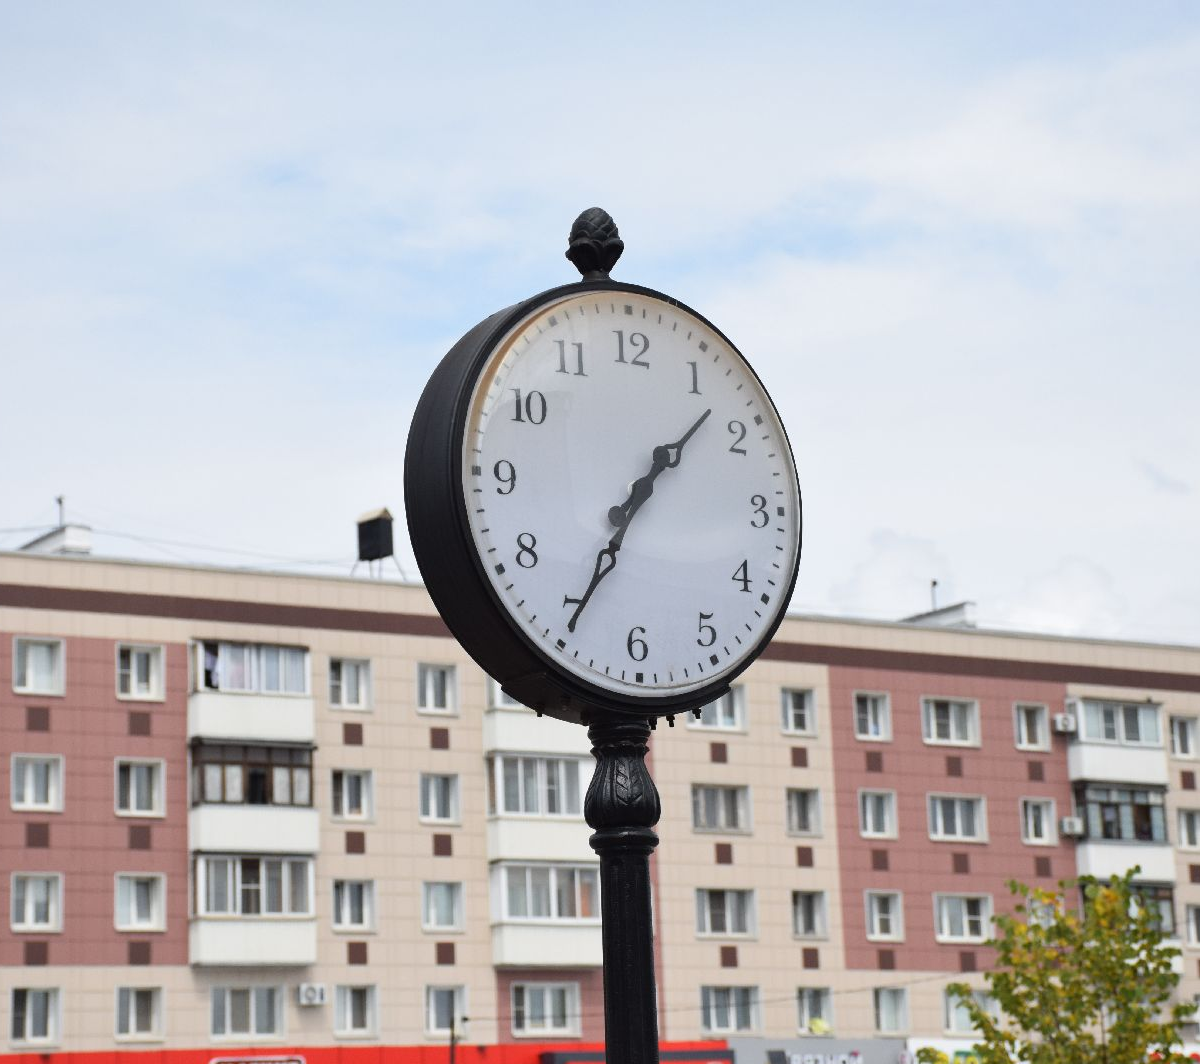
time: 1:34
